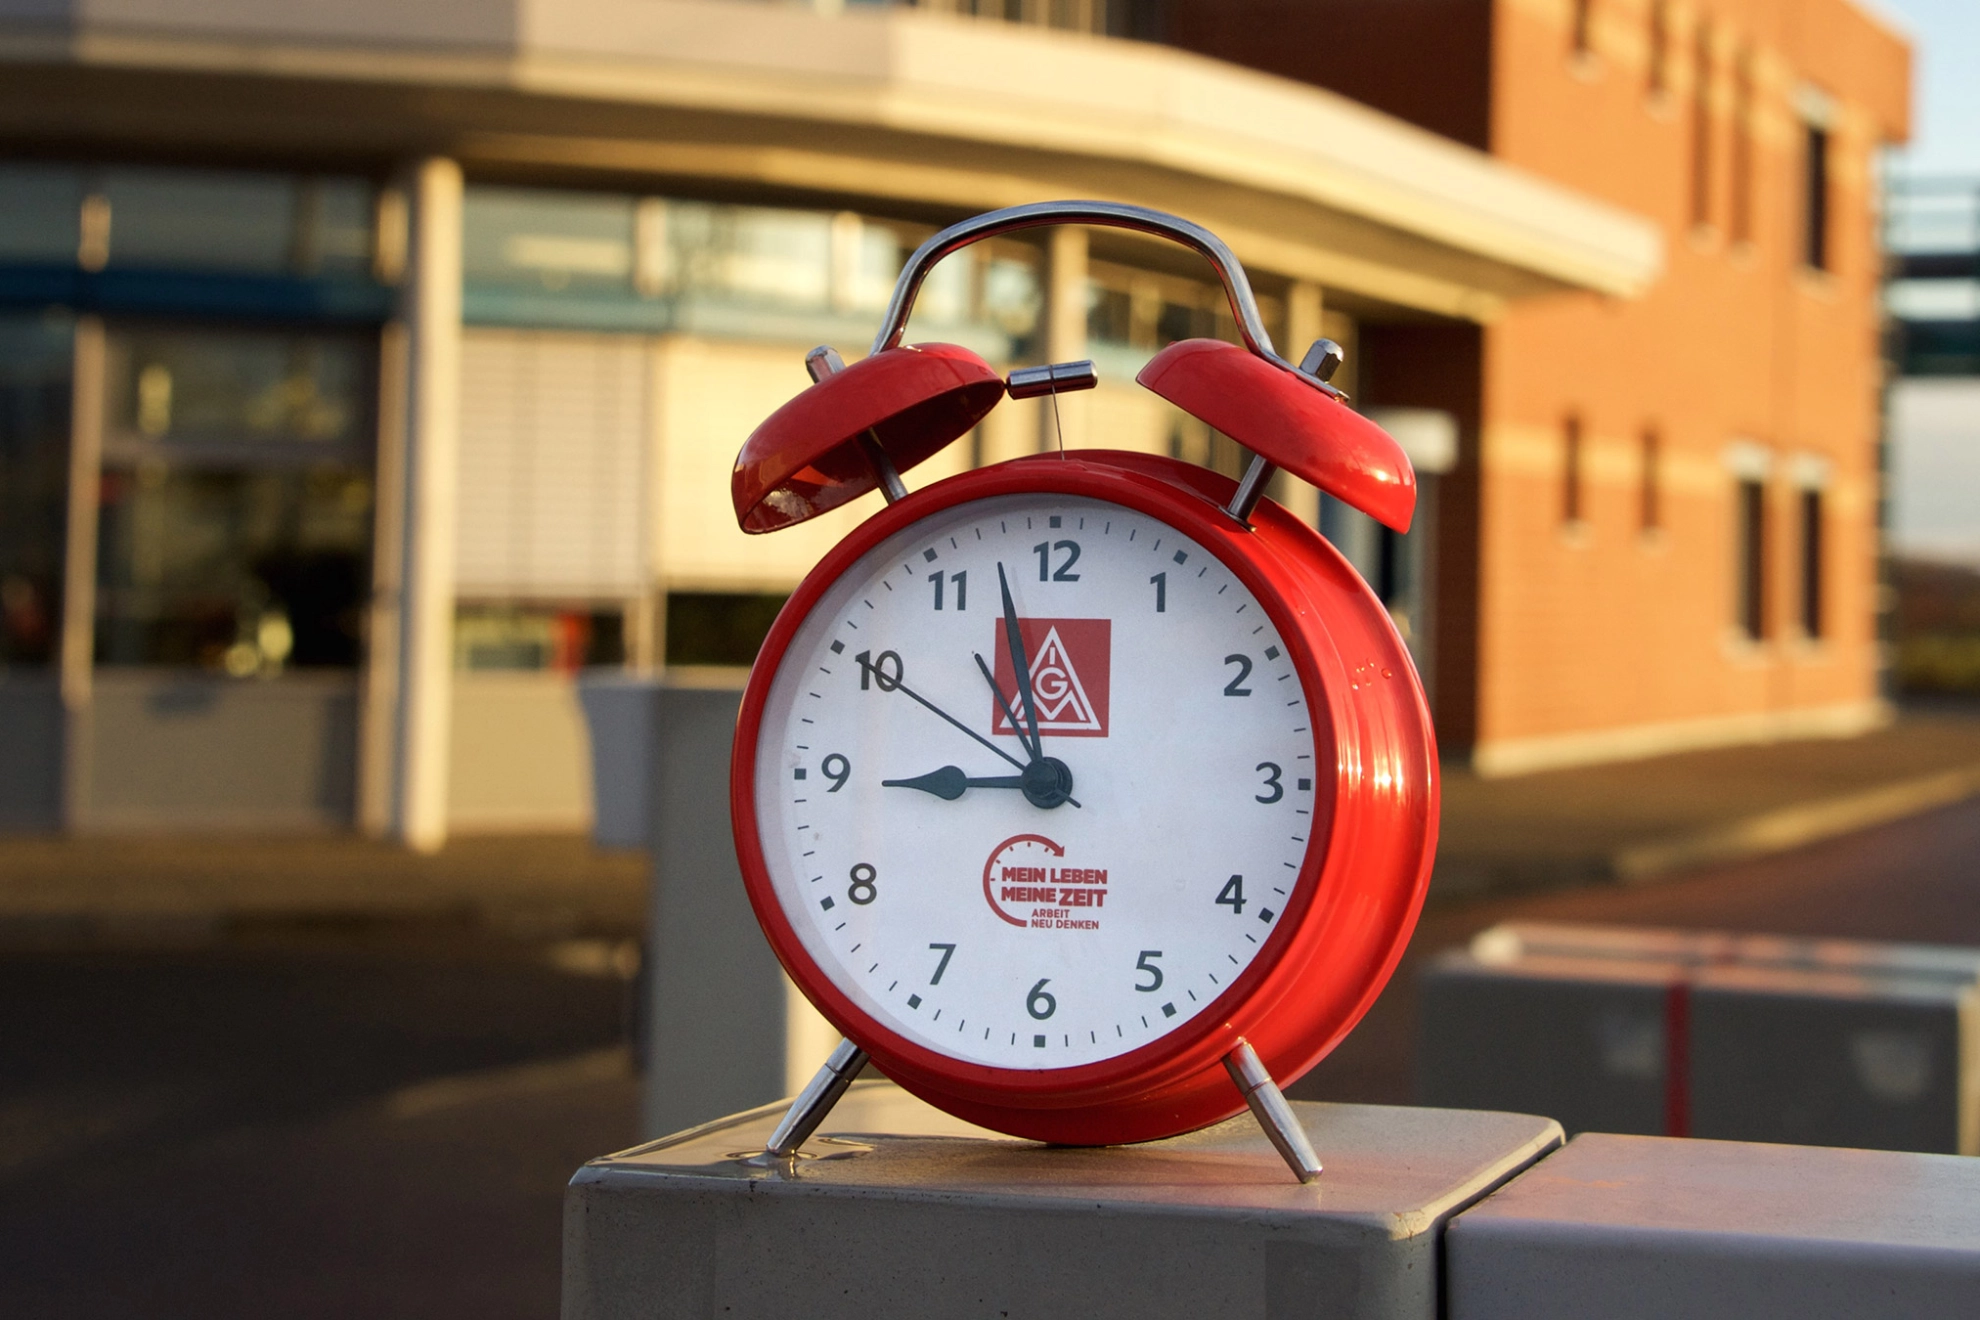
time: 8:57
